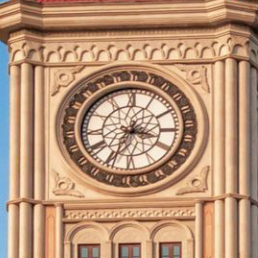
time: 3:33
